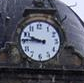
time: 9:45
